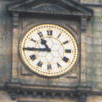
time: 10:44
